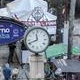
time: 11:41
